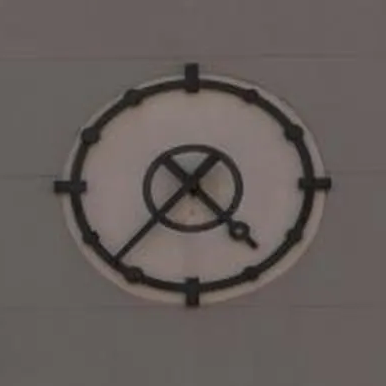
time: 4:37
